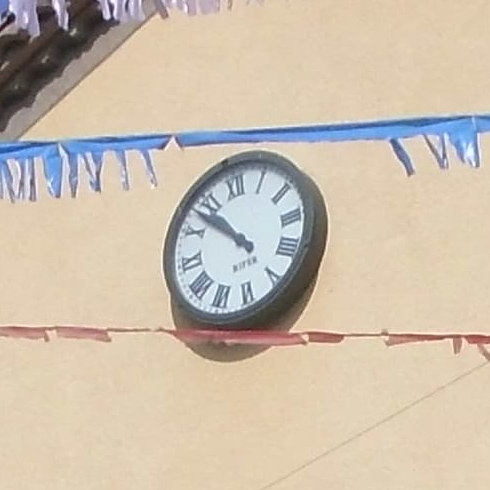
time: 10:52
